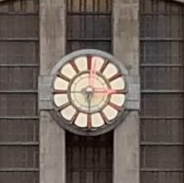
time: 6:14
